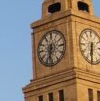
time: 6:32
